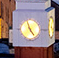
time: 4:57
